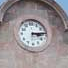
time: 3:14
